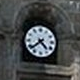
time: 4:38
